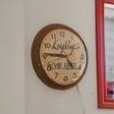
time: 4:45
